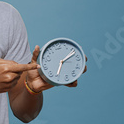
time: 7:12
